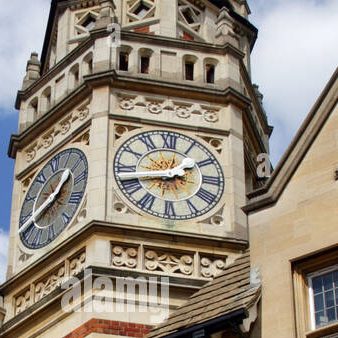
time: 1:42
